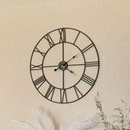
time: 2:00
